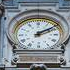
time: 2:09
